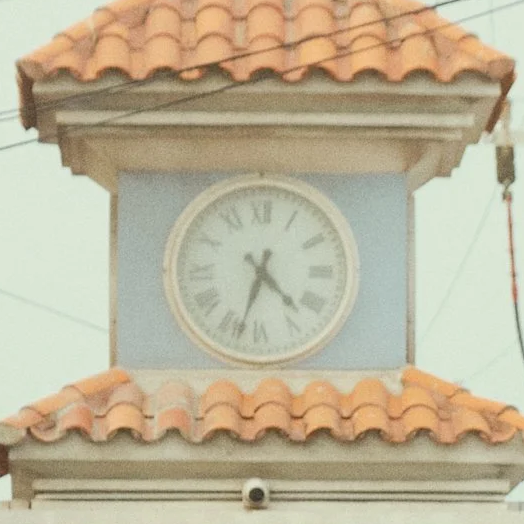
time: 4:33
